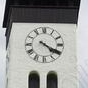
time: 4:19
